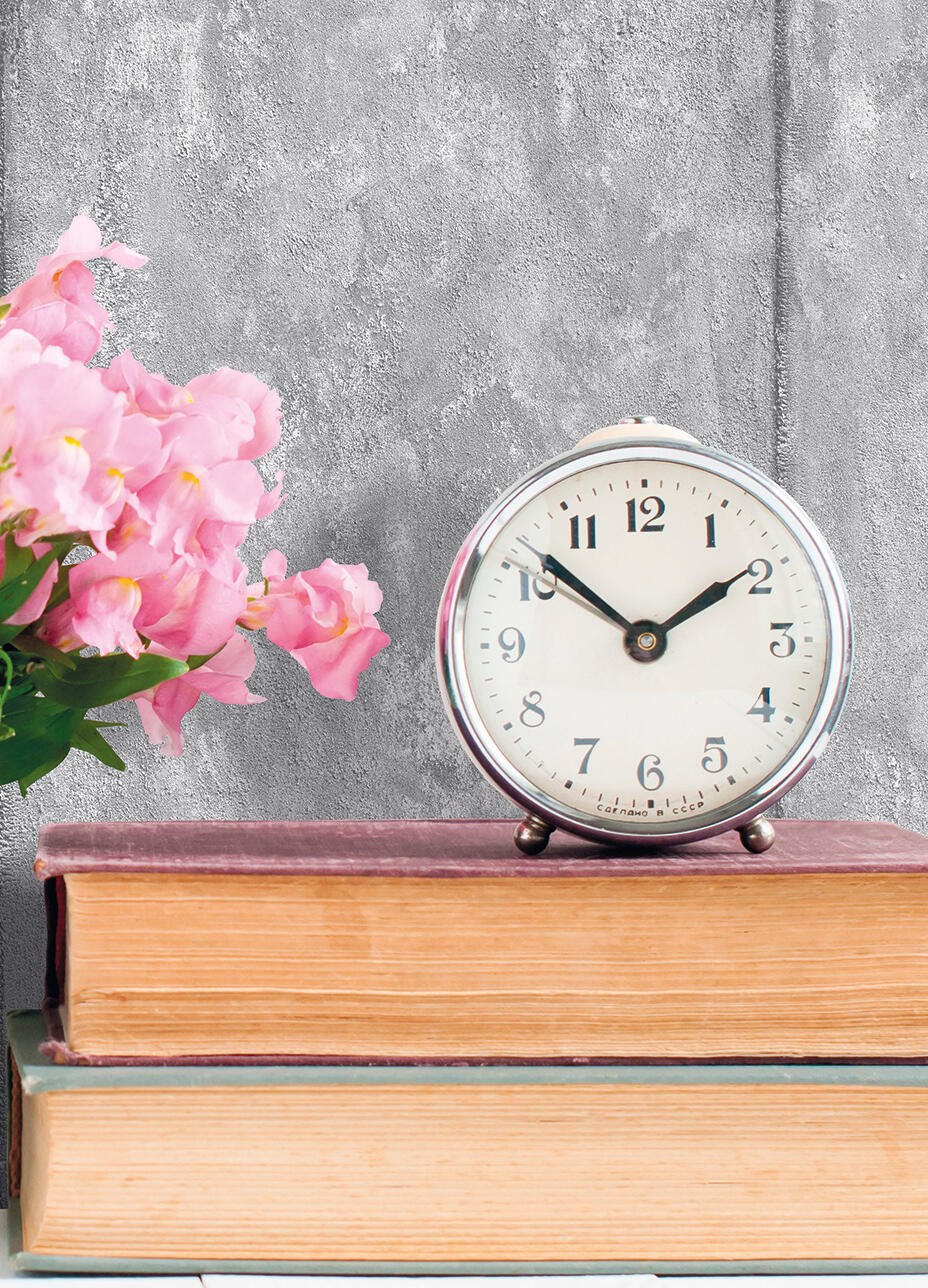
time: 1:51
